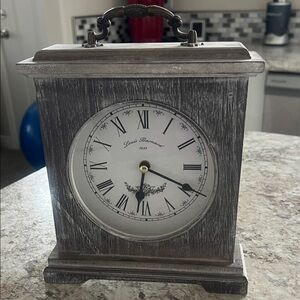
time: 6:19
